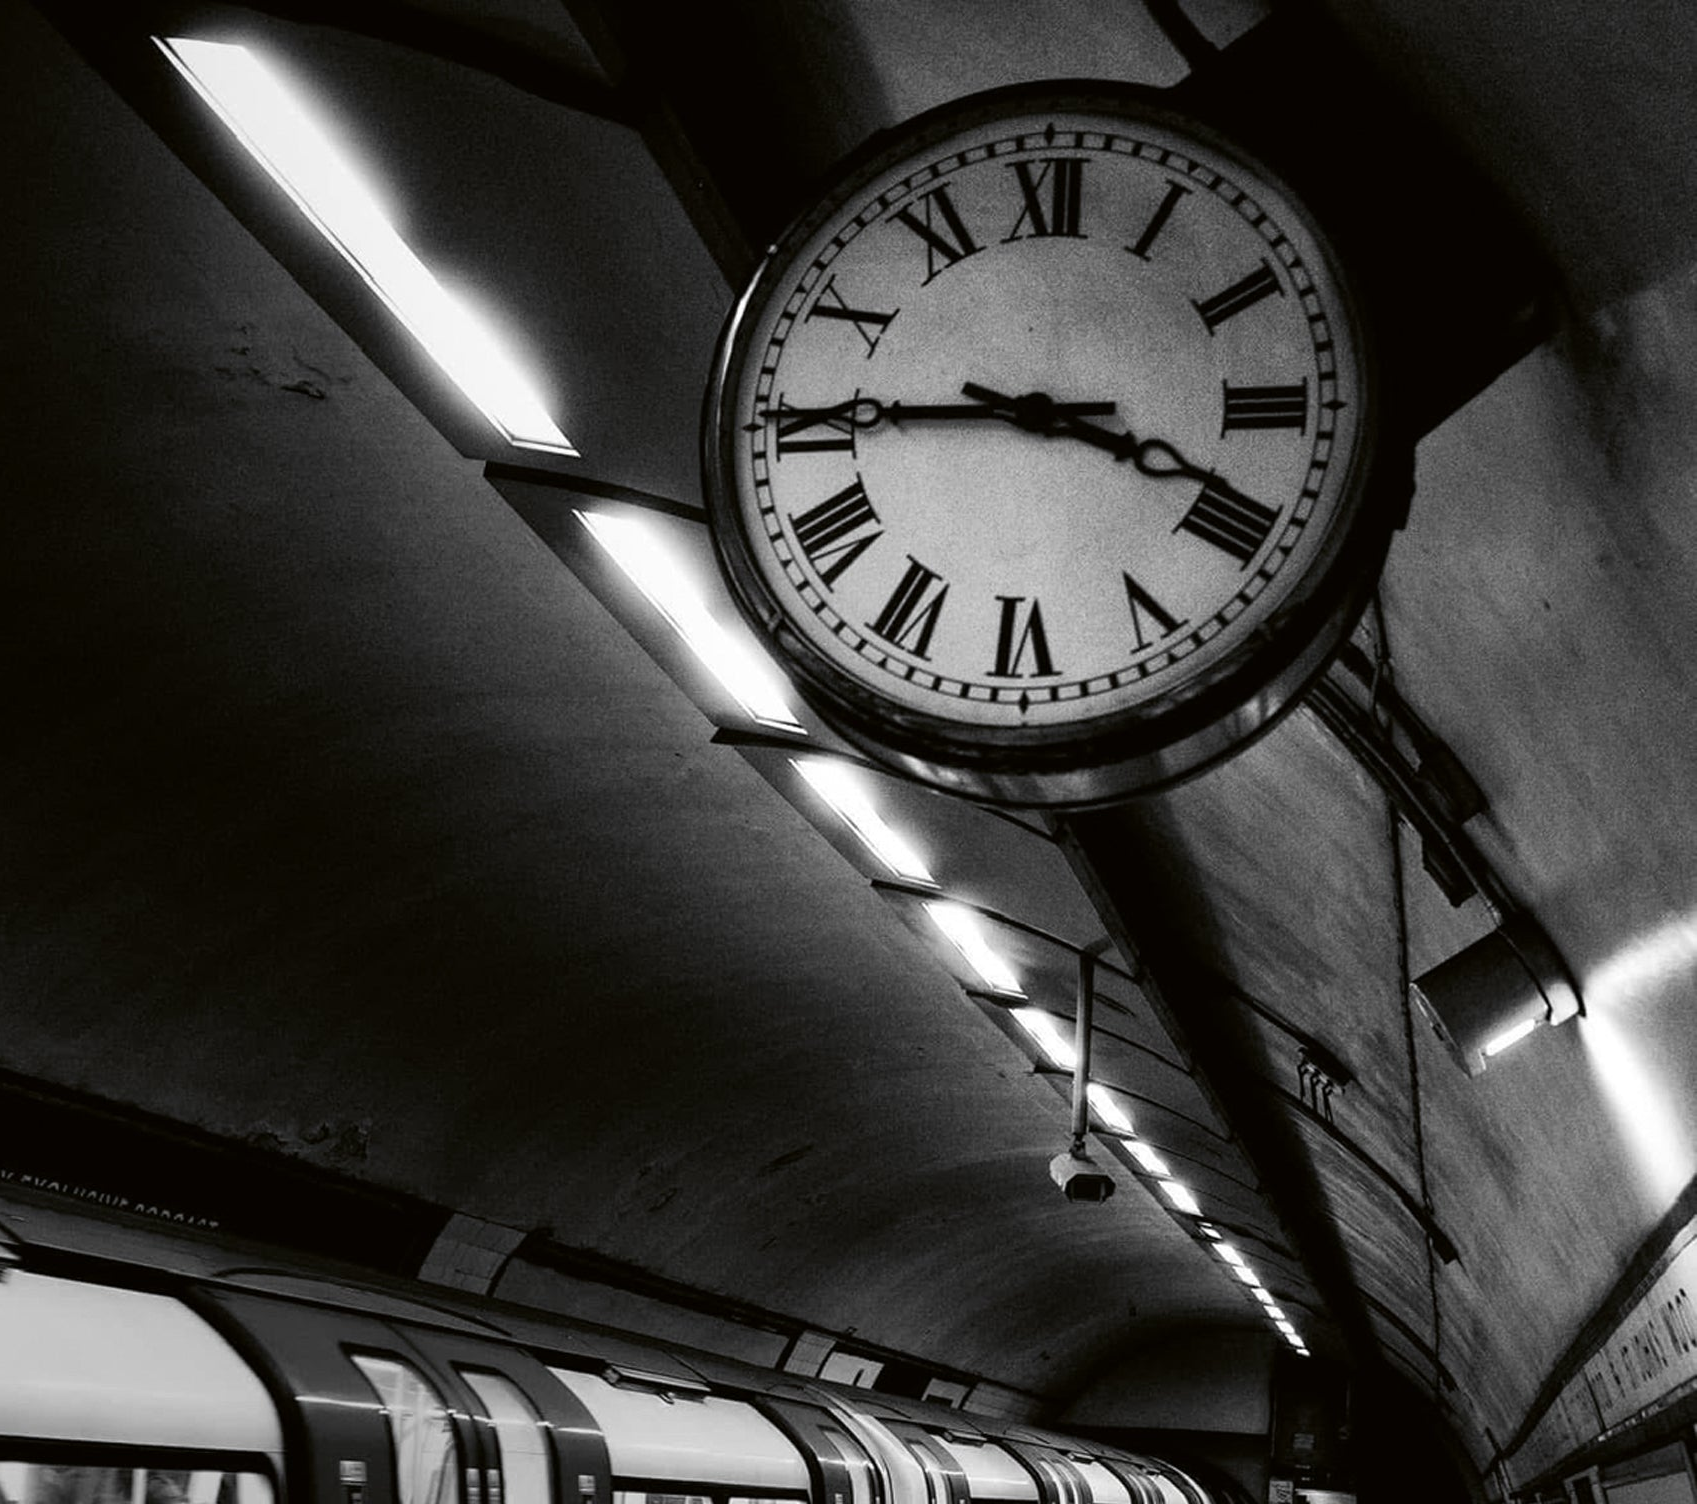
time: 3:45
